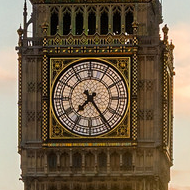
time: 7:24
